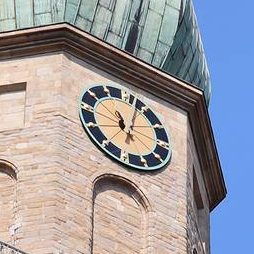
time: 11:02
